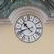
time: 10:41
